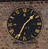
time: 1:34
